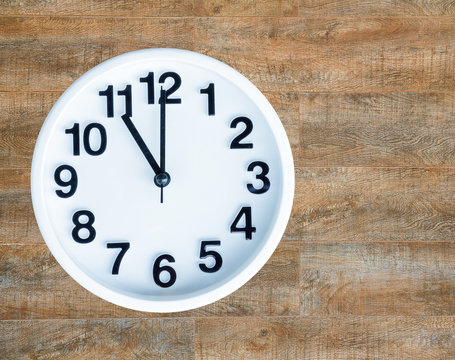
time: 11:00
